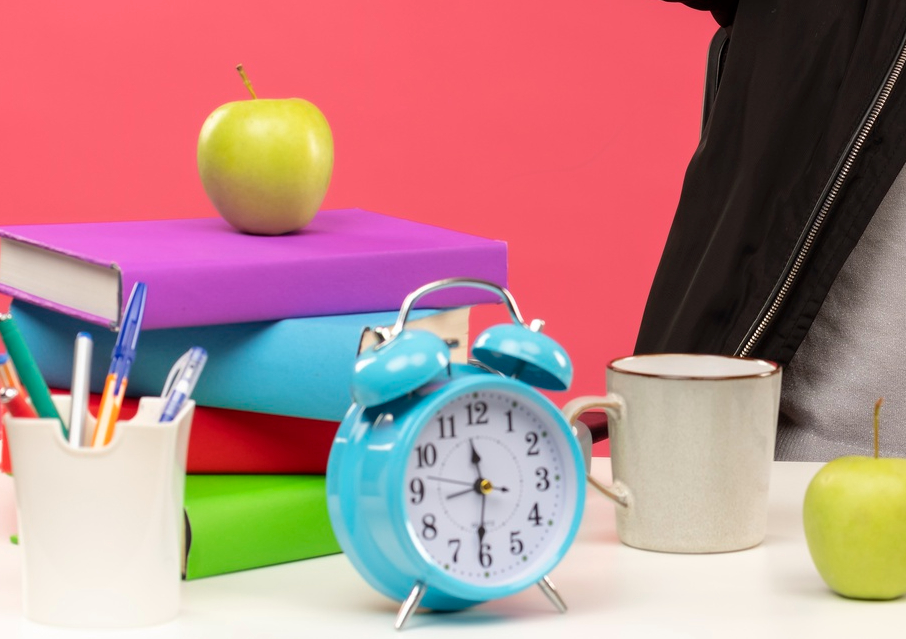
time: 11:31
